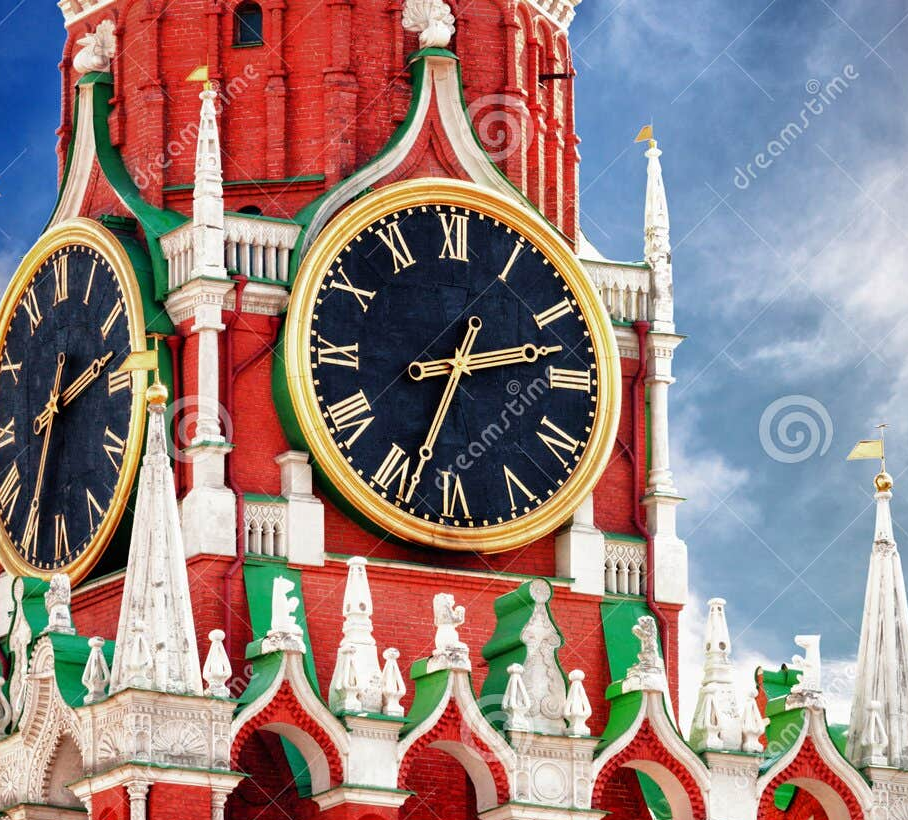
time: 2:33
